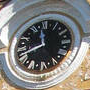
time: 11:41
